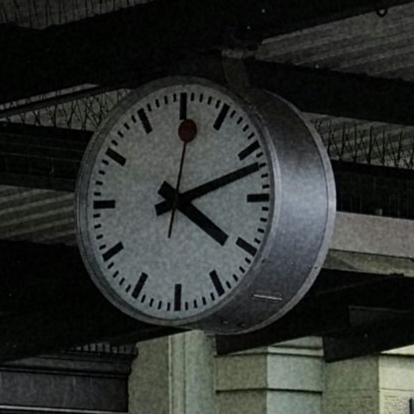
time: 4:12
